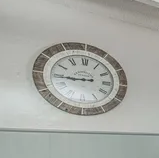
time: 8:44
